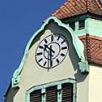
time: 10:30
